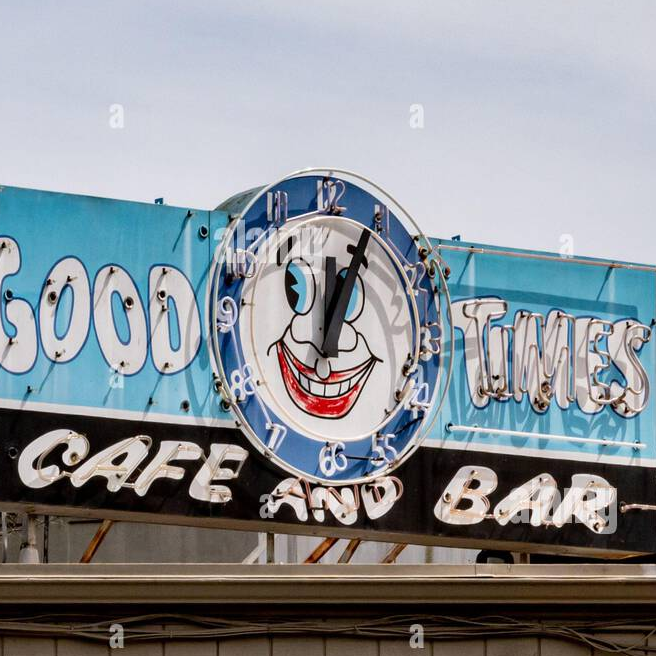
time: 12:04
